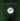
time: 9:07
